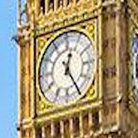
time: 12:24
